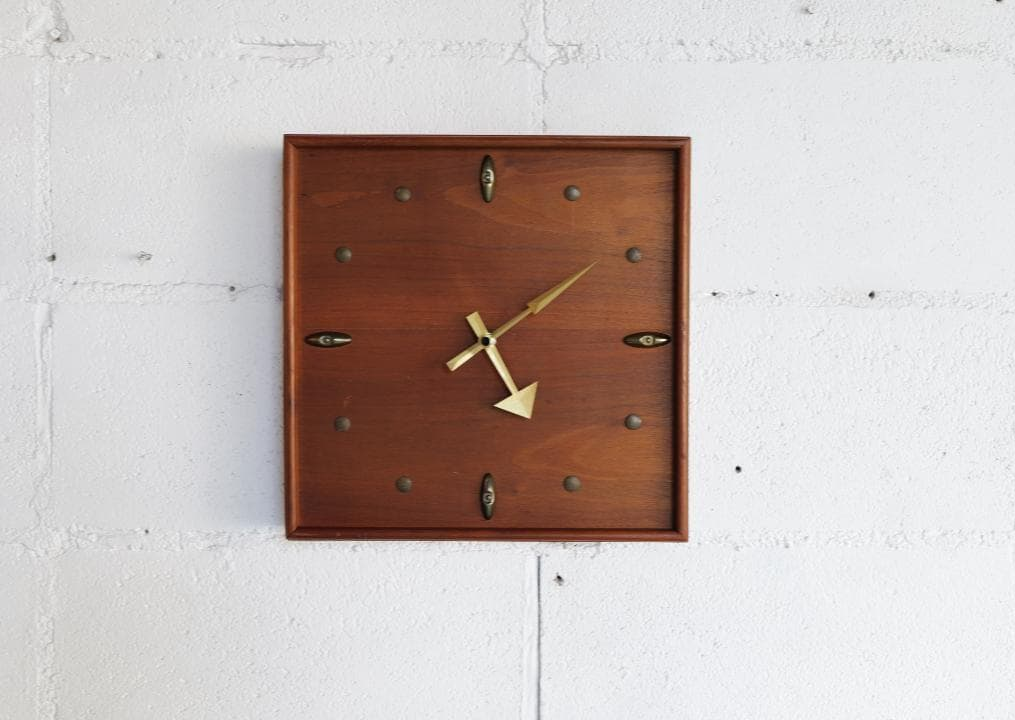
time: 5:09
